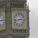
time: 2:43
